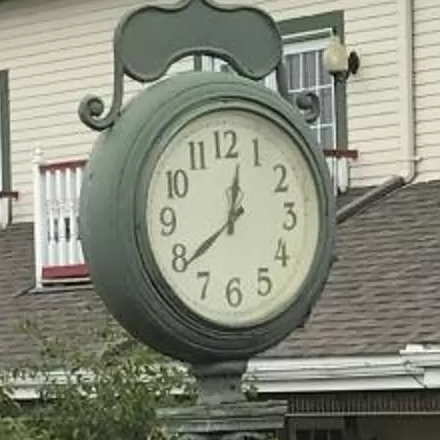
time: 12:39
